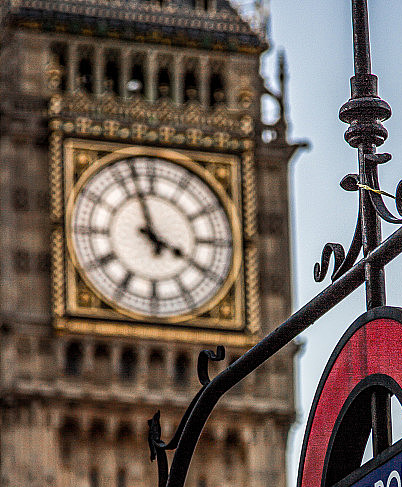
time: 3:57
